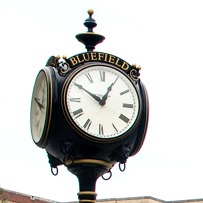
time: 12:50
